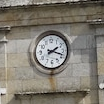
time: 2:18
